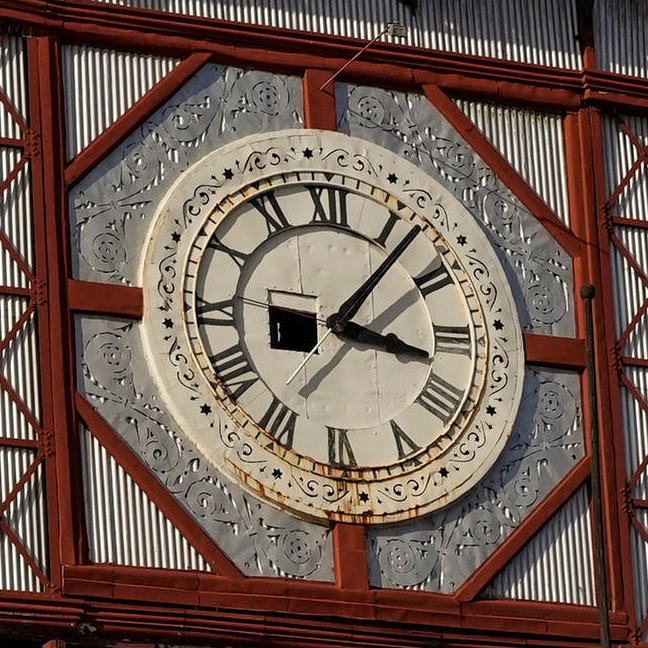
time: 3:07
